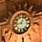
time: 12:42
